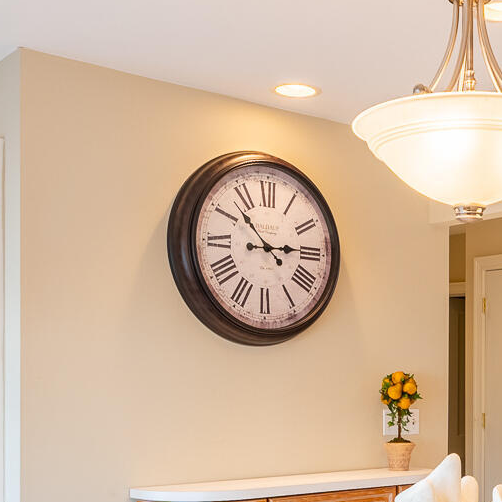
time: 2:53
